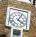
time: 4:04
